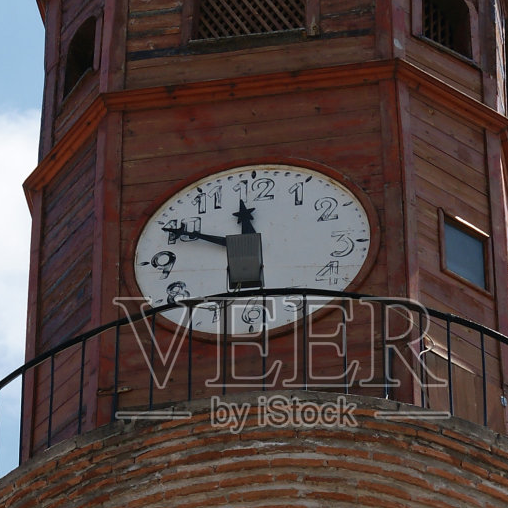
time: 11:49
